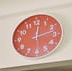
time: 12:12
